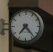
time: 7:23
